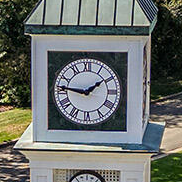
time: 1:46
